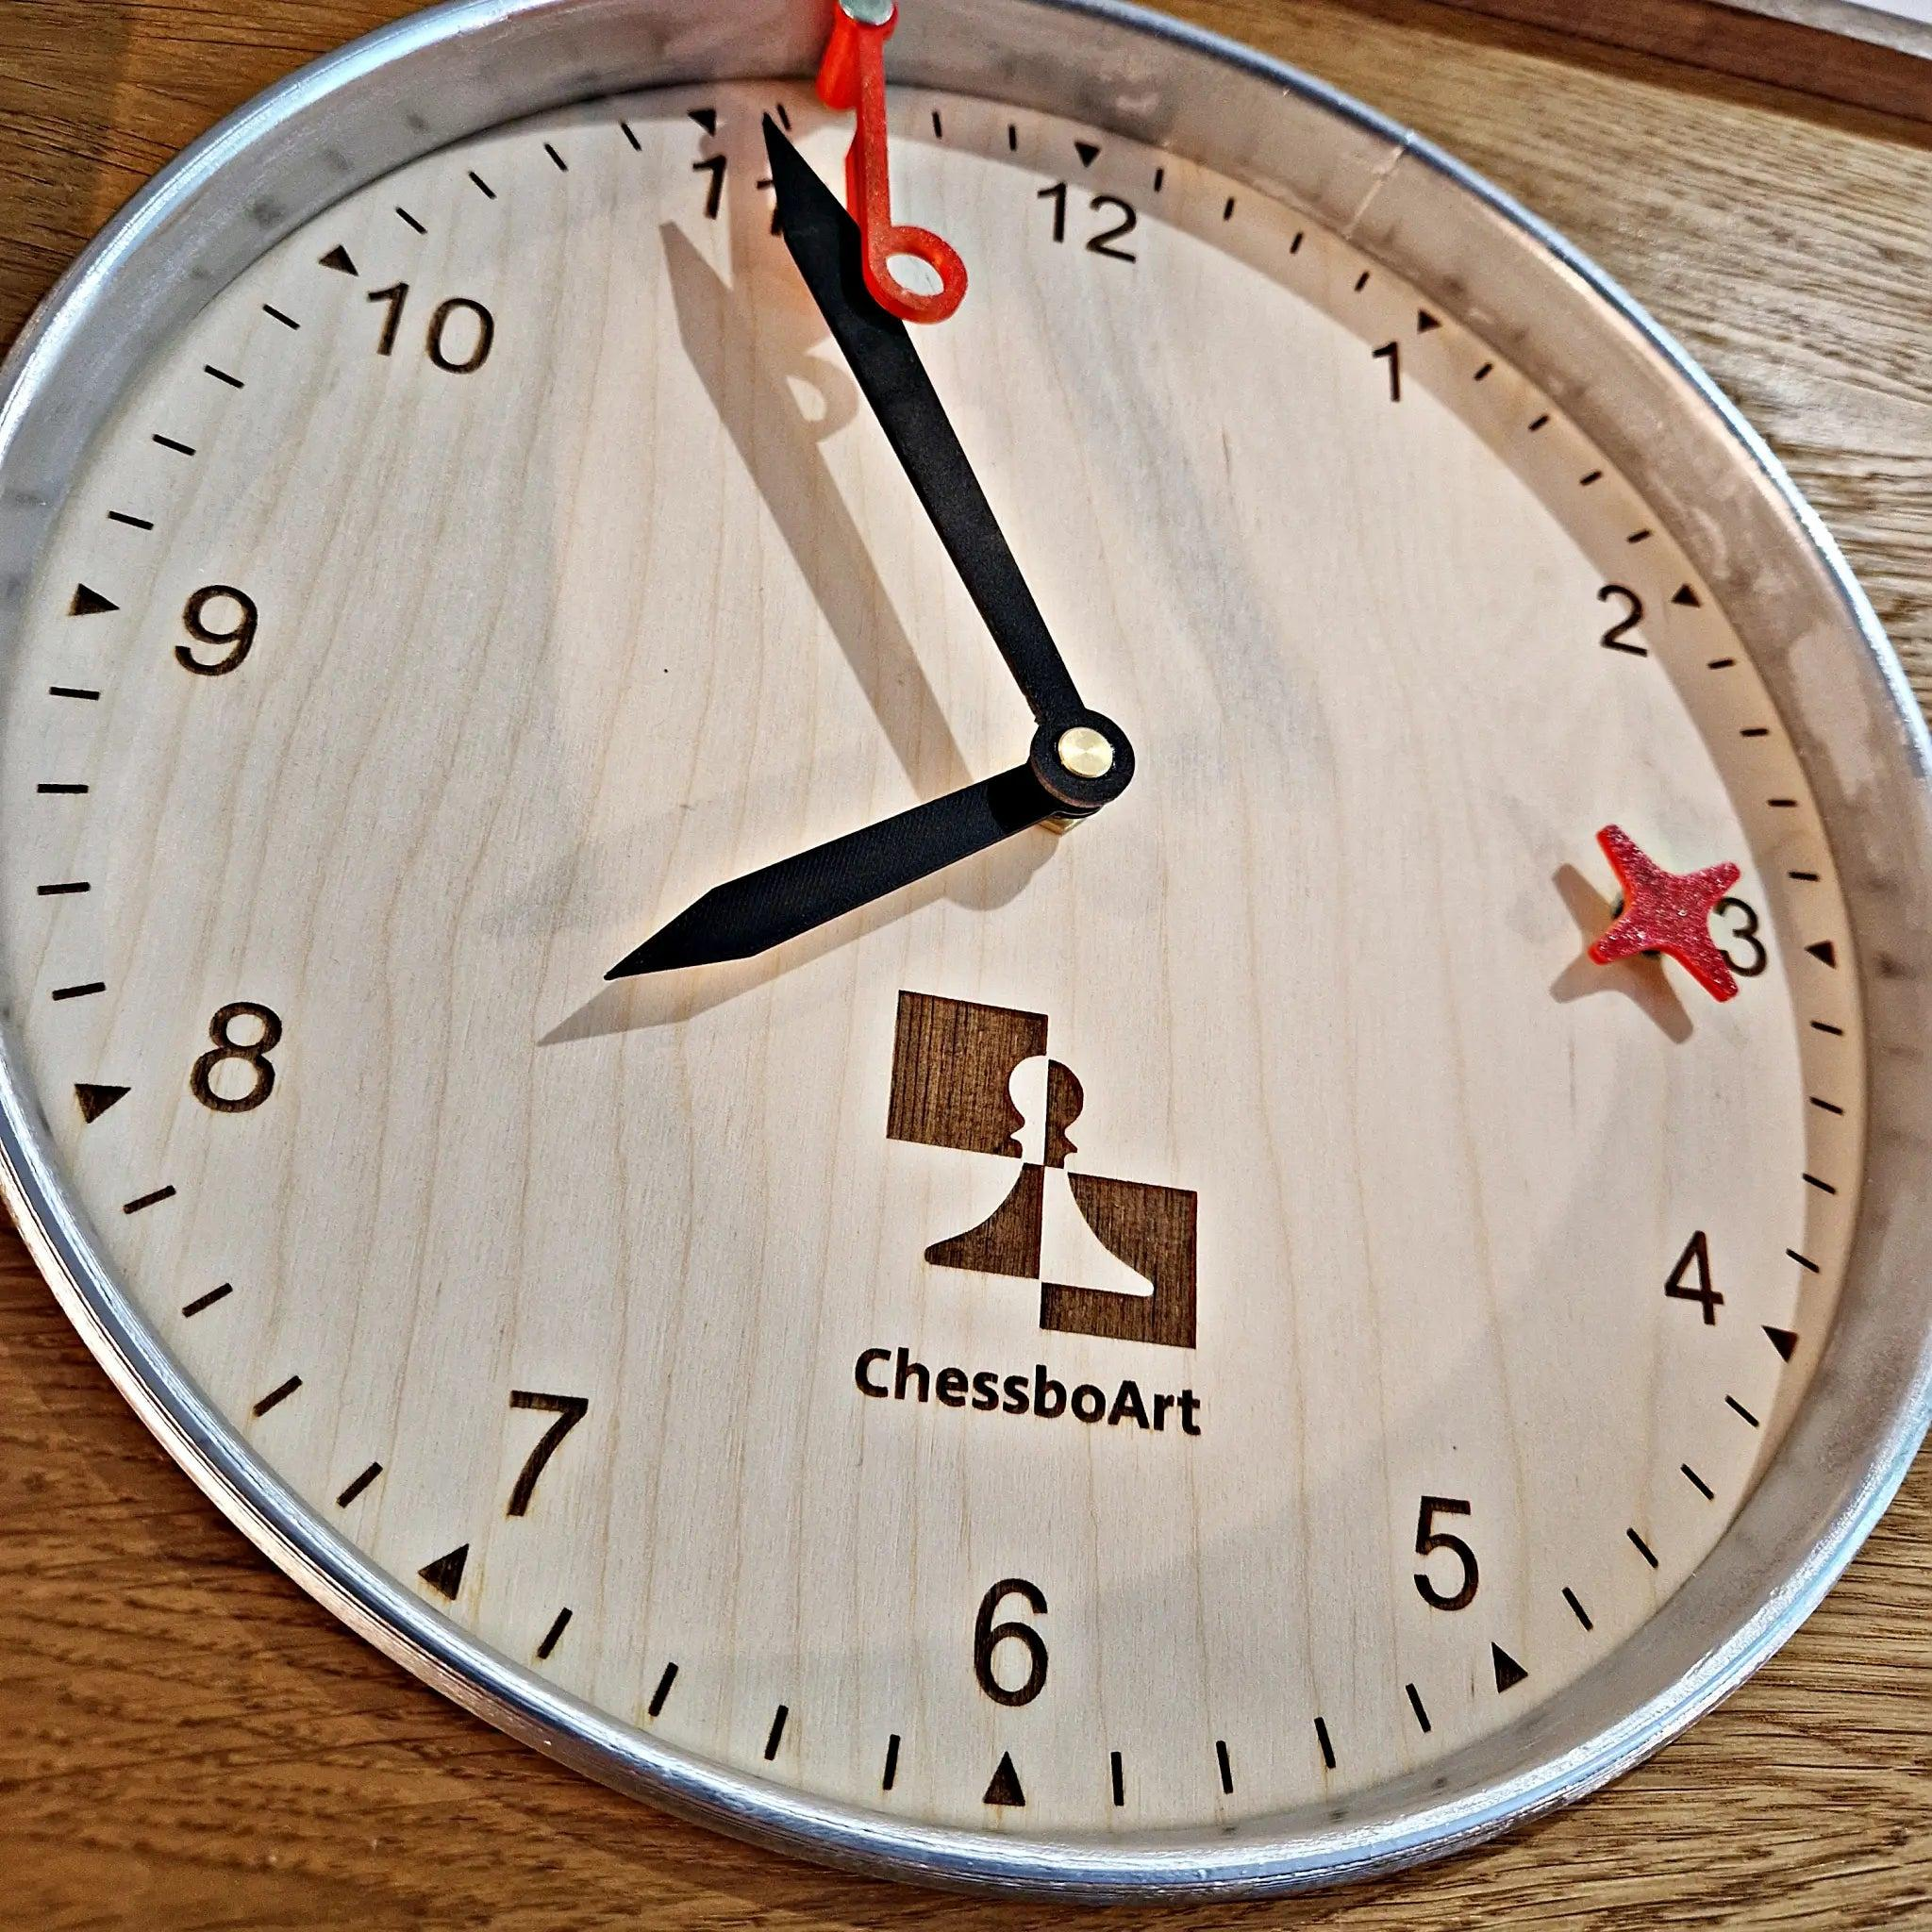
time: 7:55
